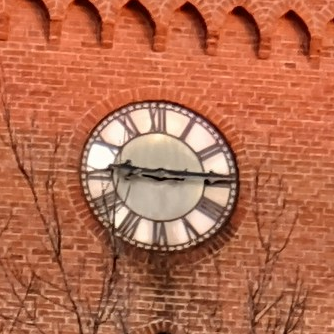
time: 9:14
